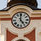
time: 4:59
